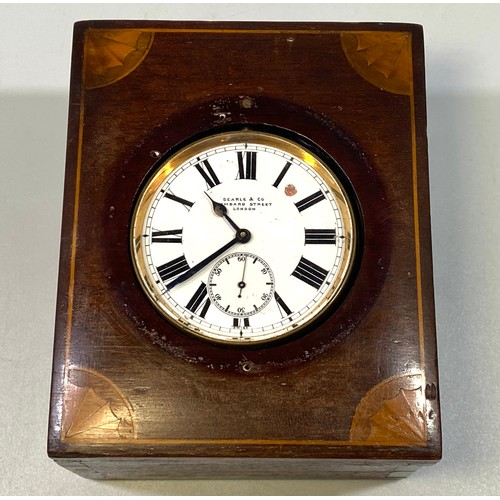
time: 10:38
